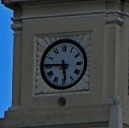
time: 5:45
